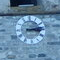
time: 3:12
